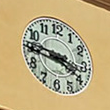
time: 3:46
